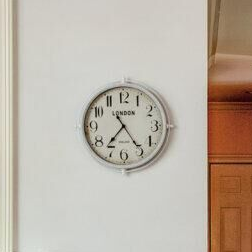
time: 7:24
